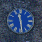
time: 11:28
